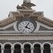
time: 4:04
